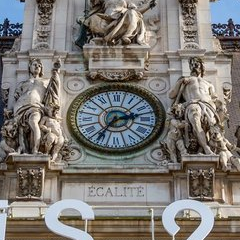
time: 2:35
